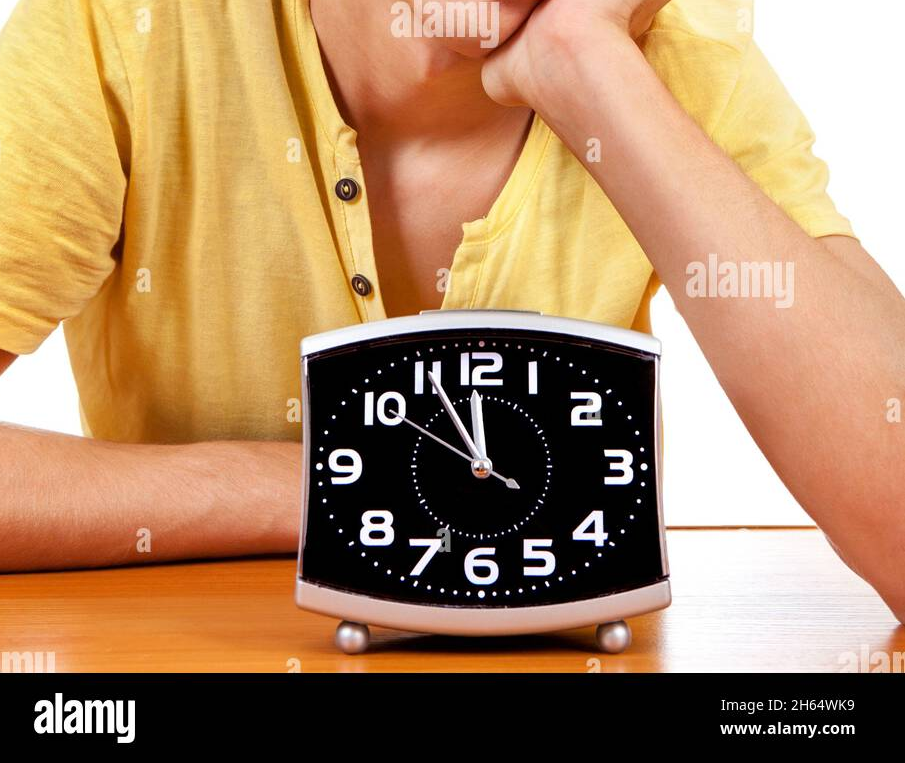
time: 11:55
